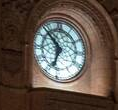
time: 6:52
